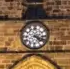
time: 4:17
